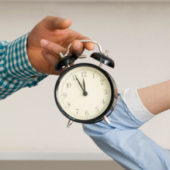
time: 11:55
